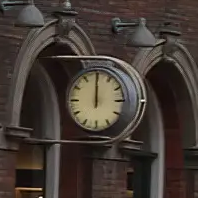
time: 12:00
